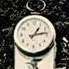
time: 1:13
